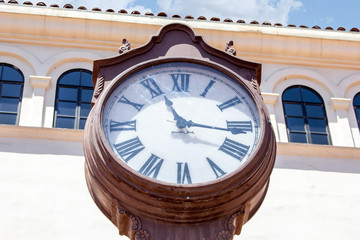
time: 11:16
